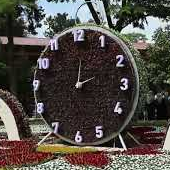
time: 2:01
